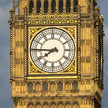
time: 7:45
